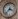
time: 3:37
